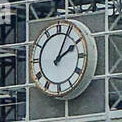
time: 2:04
